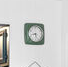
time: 8:27
